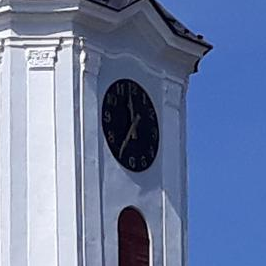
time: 11:35
